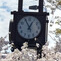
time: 12:55
